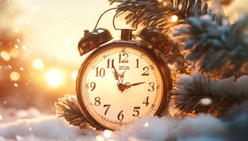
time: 11:13
